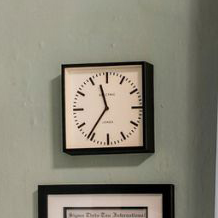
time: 11:36
